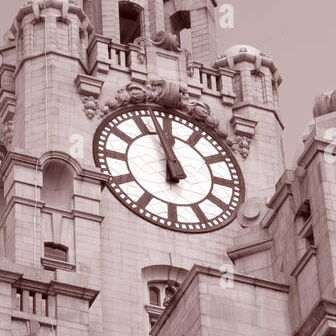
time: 11:57
